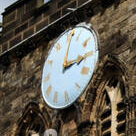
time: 3:02
